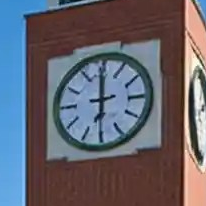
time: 5:59
